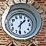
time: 1:31
